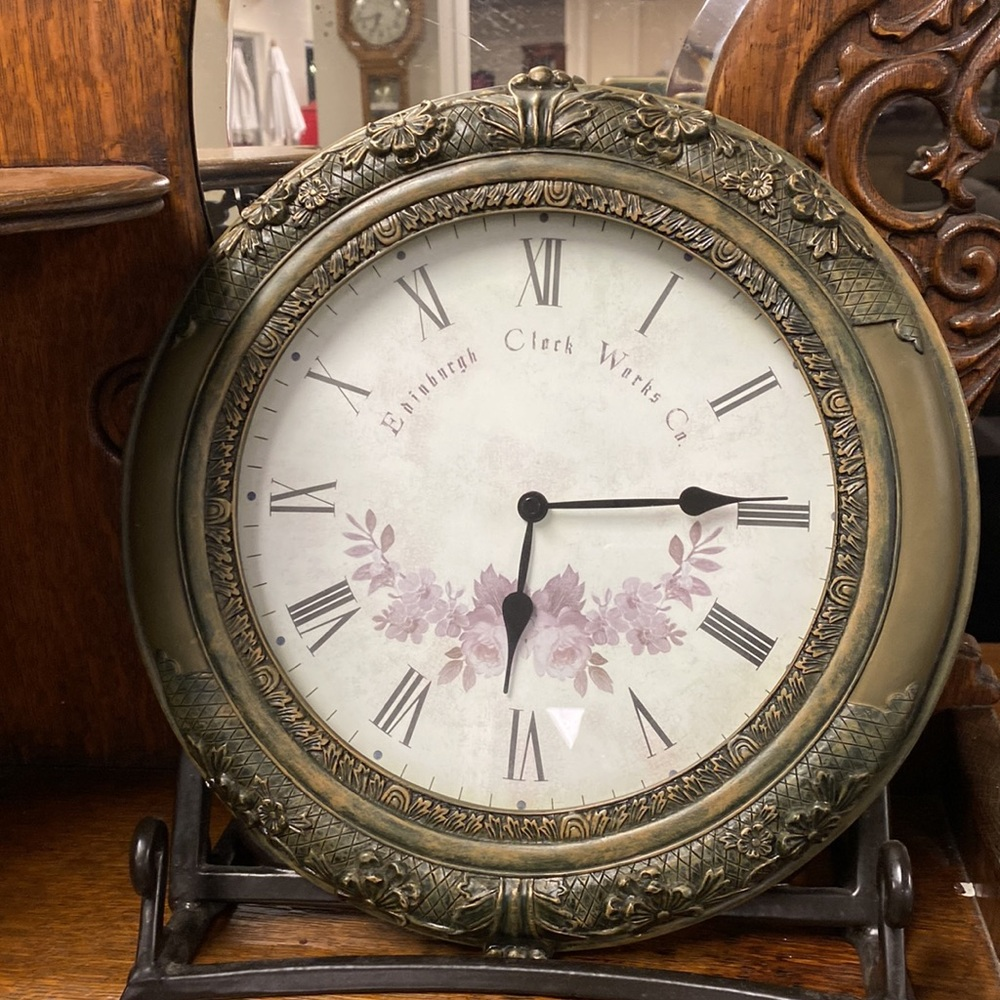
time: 6:14
